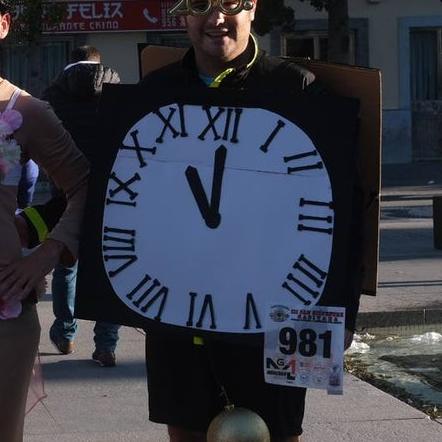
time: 11:00
